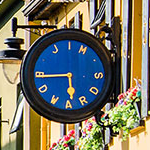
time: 5:44
